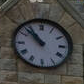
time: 10:52
